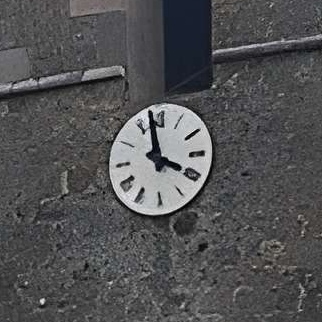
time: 3:58
